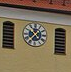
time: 1:36
